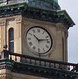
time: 10:12
